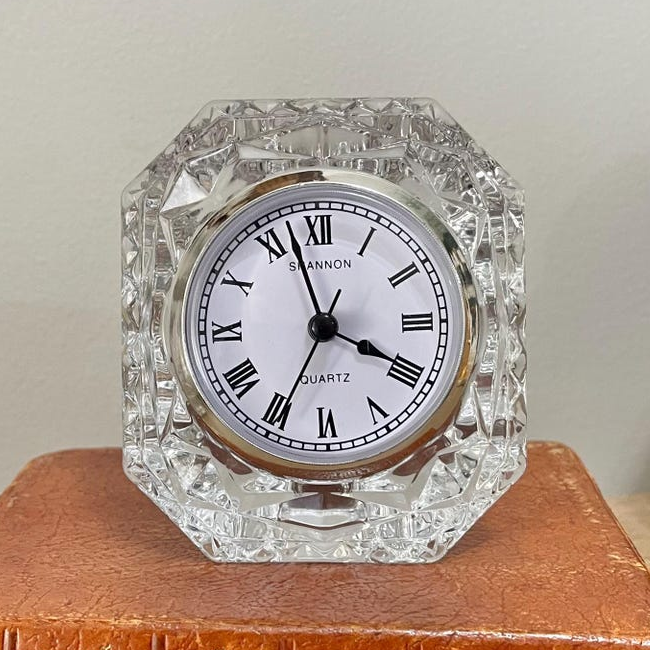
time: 3:57
